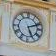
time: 5:11
